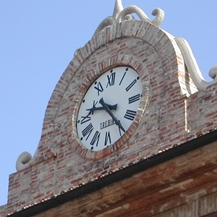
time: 9:23
